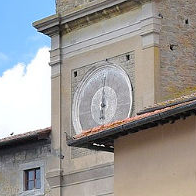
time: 5:59
